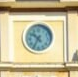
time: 10:35
